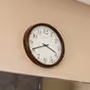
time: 3:40
